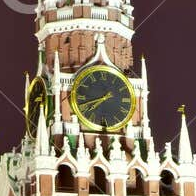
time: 7:42
